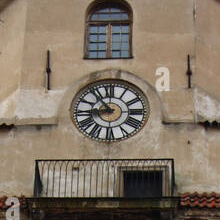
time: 8:53
